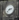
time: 2:37
